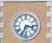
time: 3:33
